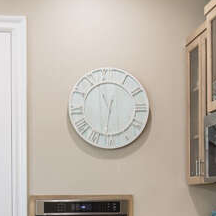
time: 11:32
